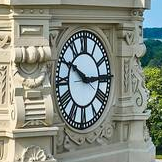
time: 2:49
